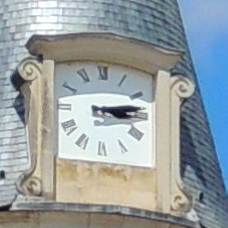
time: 3:13
